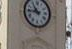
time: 10:45
